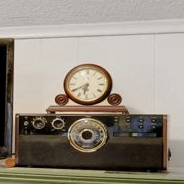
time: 6:40
